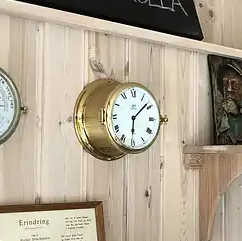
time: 6:08
